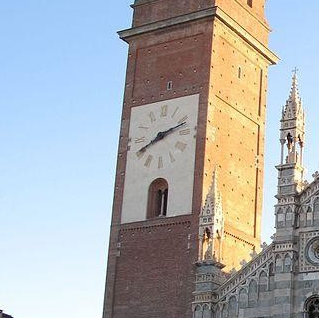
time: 8:12
